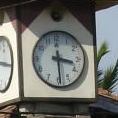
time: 3:29
